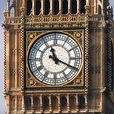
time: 11:19
